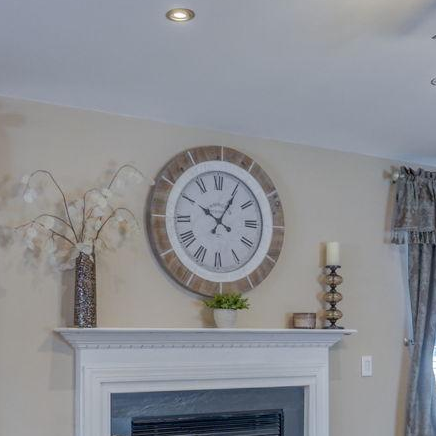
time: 10:05
